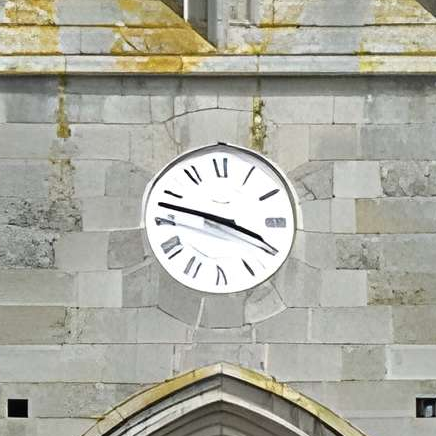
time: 3:47
